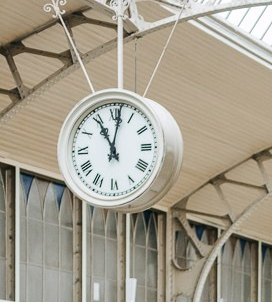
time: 11:01
